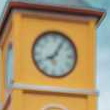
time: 8:05
